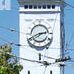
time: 2:40
